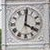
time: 4:00
